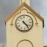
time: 4:23
